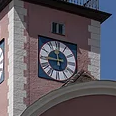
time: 11:45
